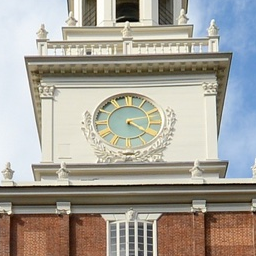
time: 4:10
